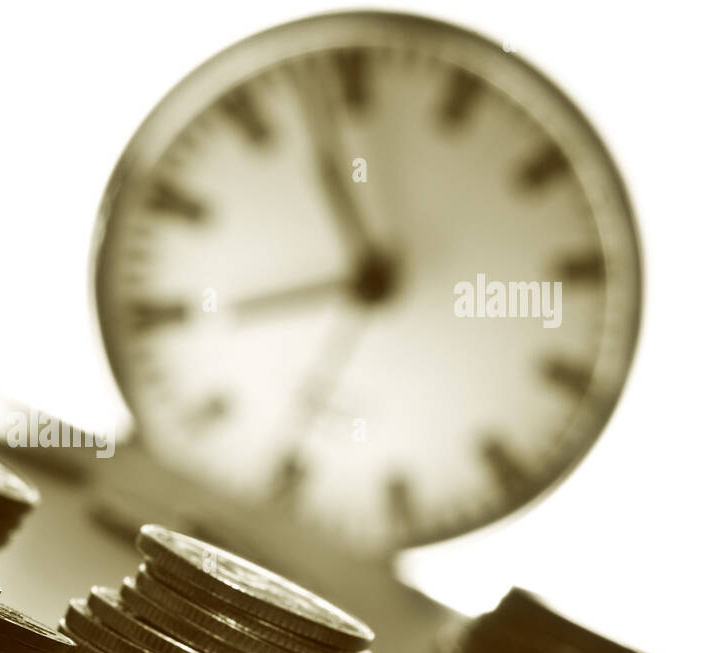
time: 8:57
